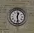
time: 12:28
